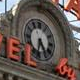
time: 4:32
